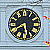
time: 5:40
